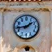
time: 1:43
